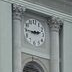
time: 2:45
